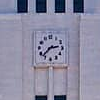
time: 2:37
